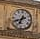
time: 6:40
